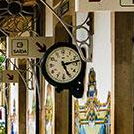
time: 5:13
